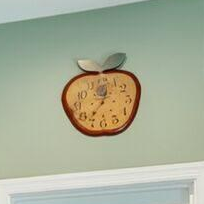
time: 12:36
